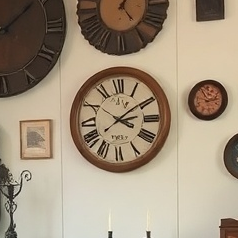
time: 3:09
